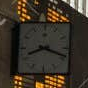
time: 8:18
